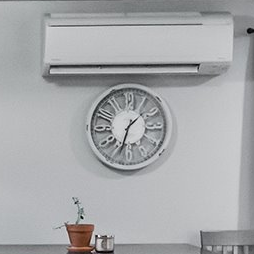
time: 1:33
